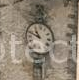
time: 10:48
